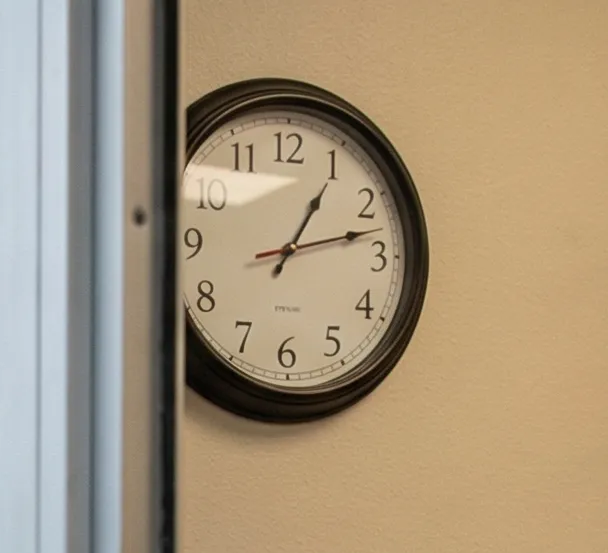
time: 1:12
